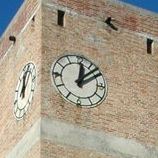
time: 12:07
